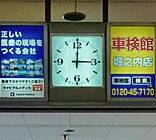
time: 3:00
